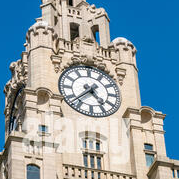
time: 4:37
